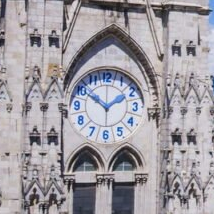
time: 1:50
